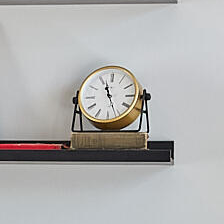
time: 11:26
